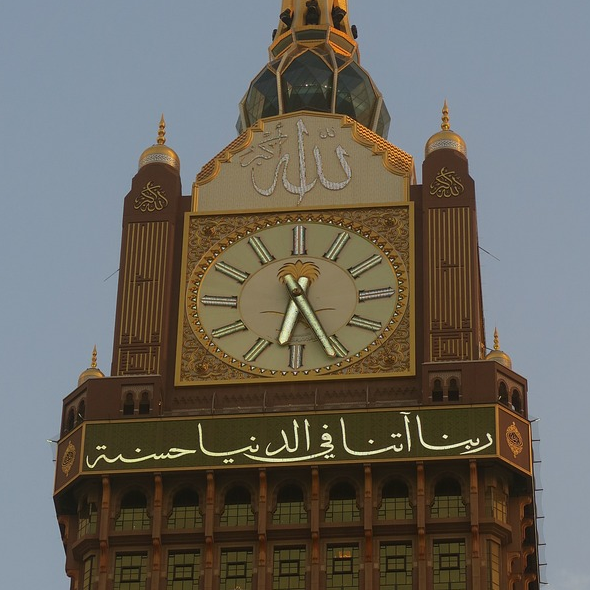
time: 6:26
